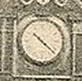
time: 10:21
